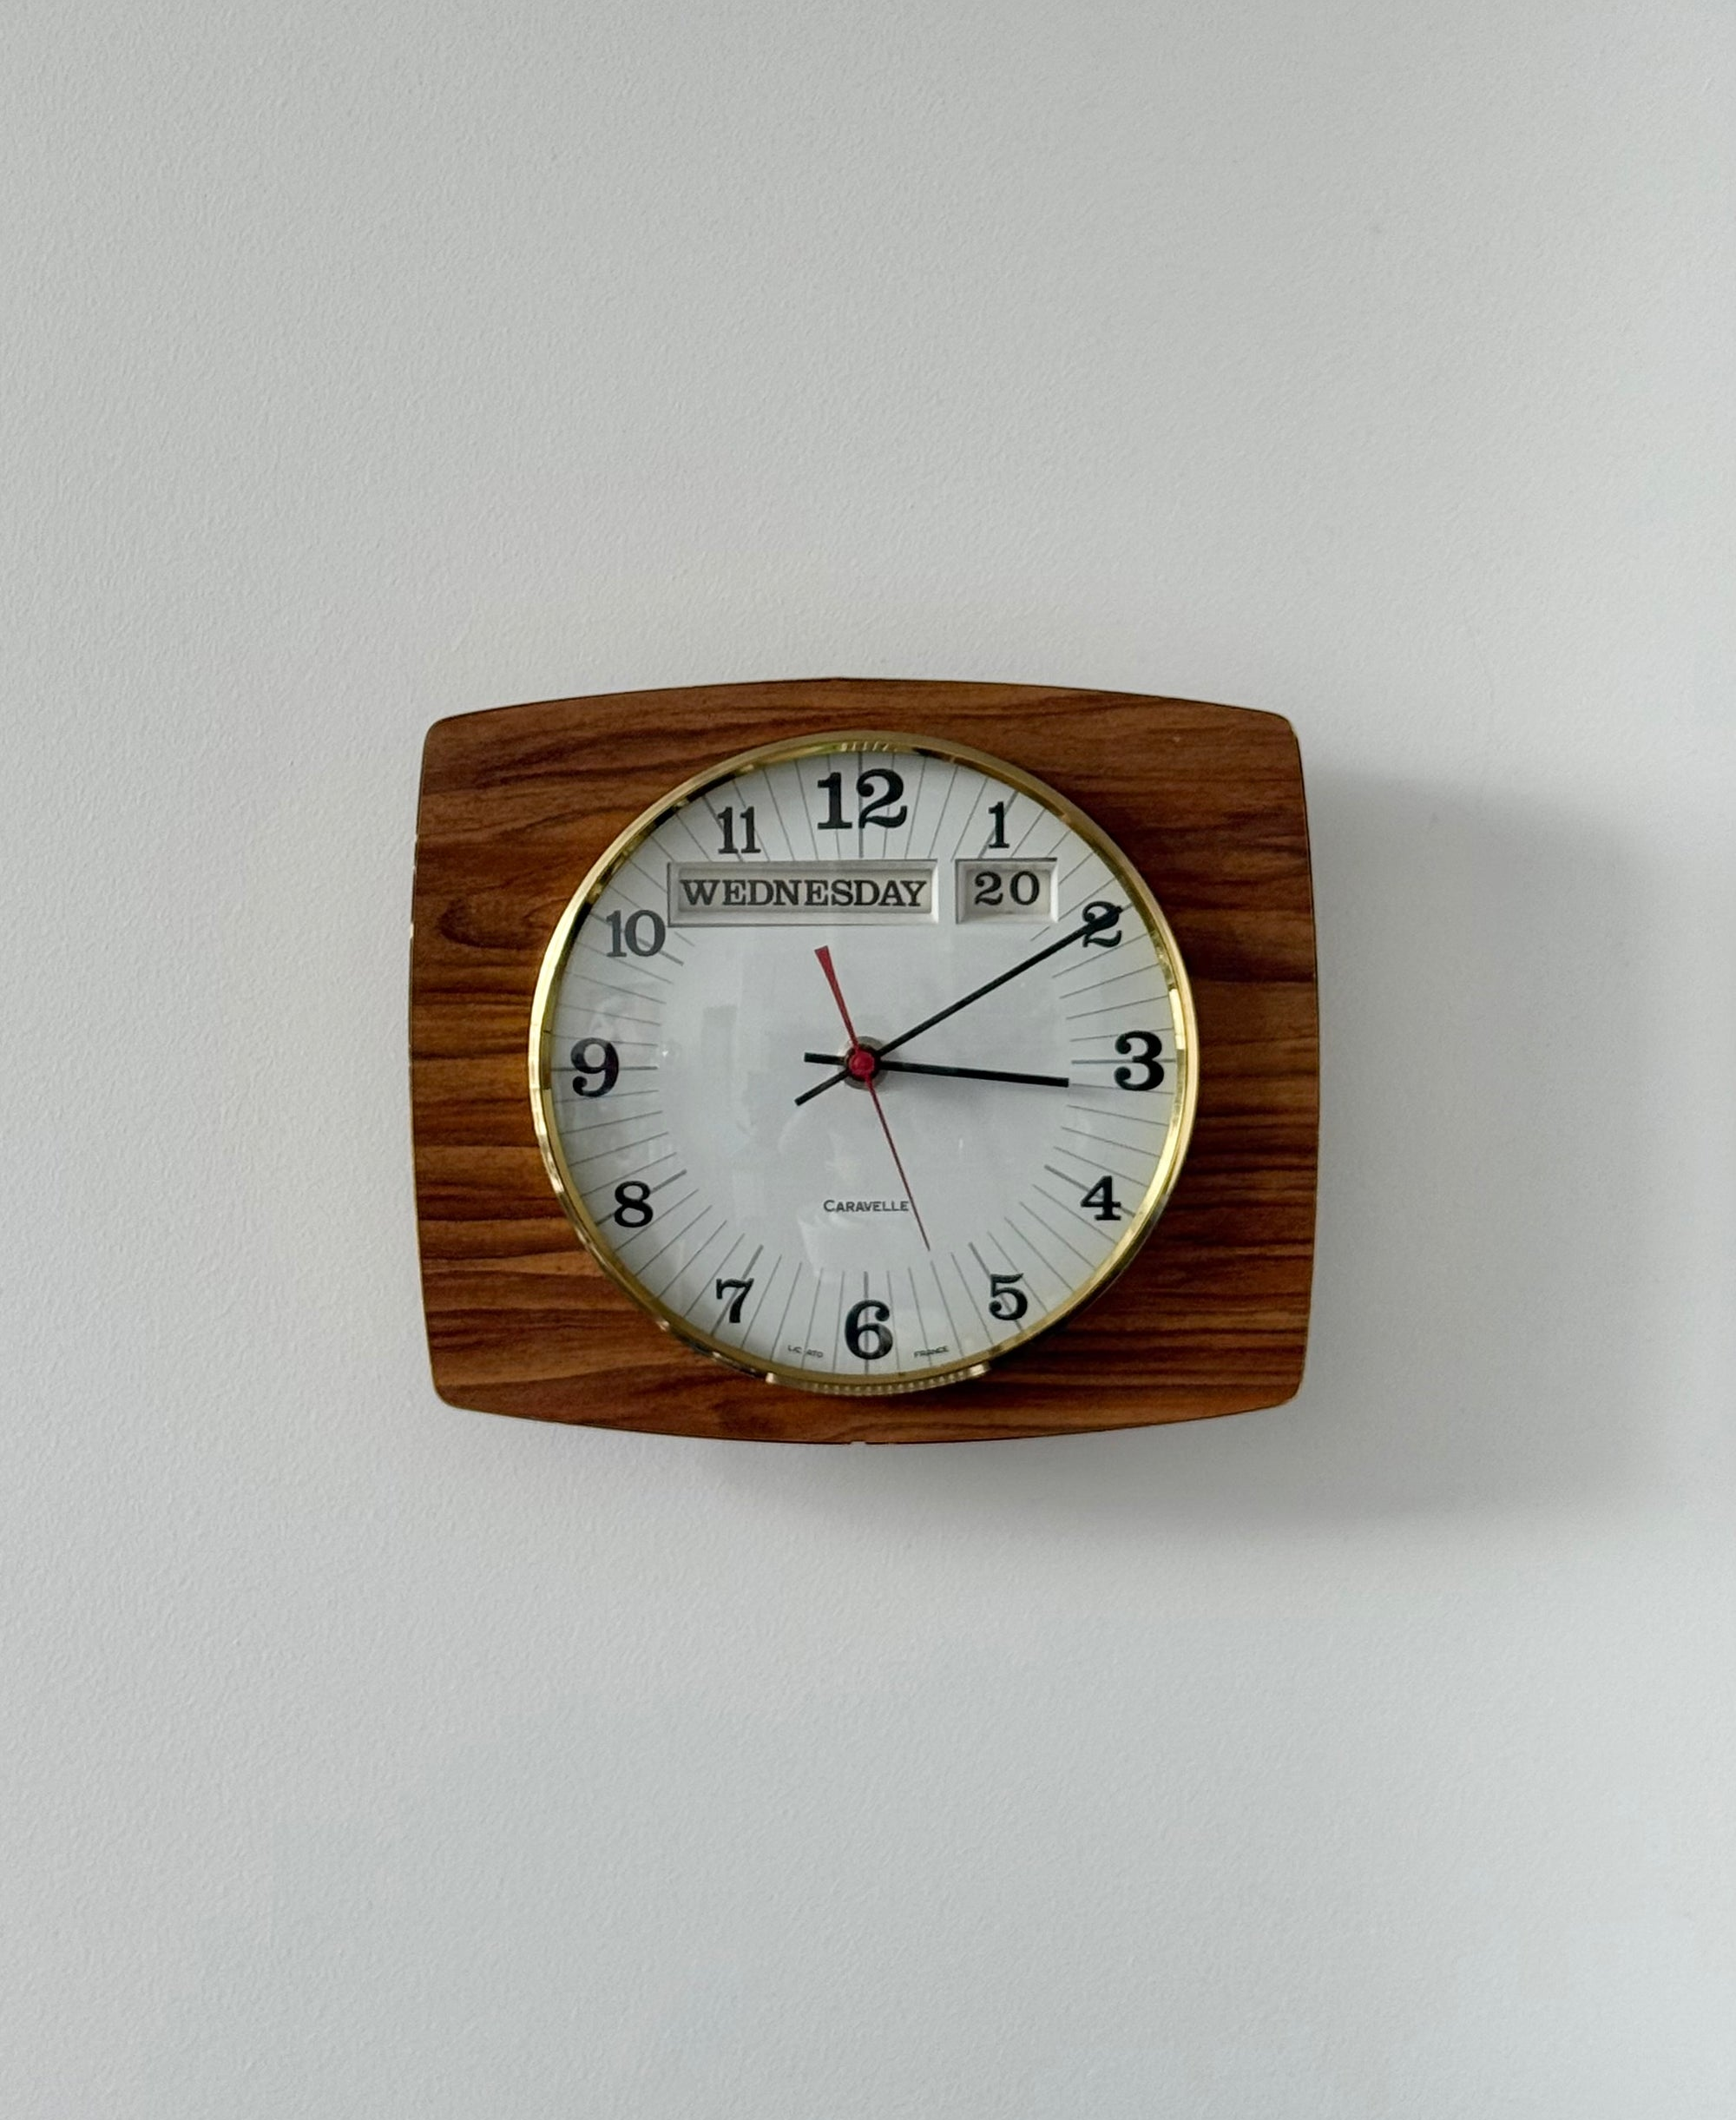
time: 3:09
